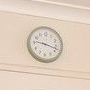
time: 9:17
